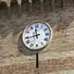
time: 11:43
